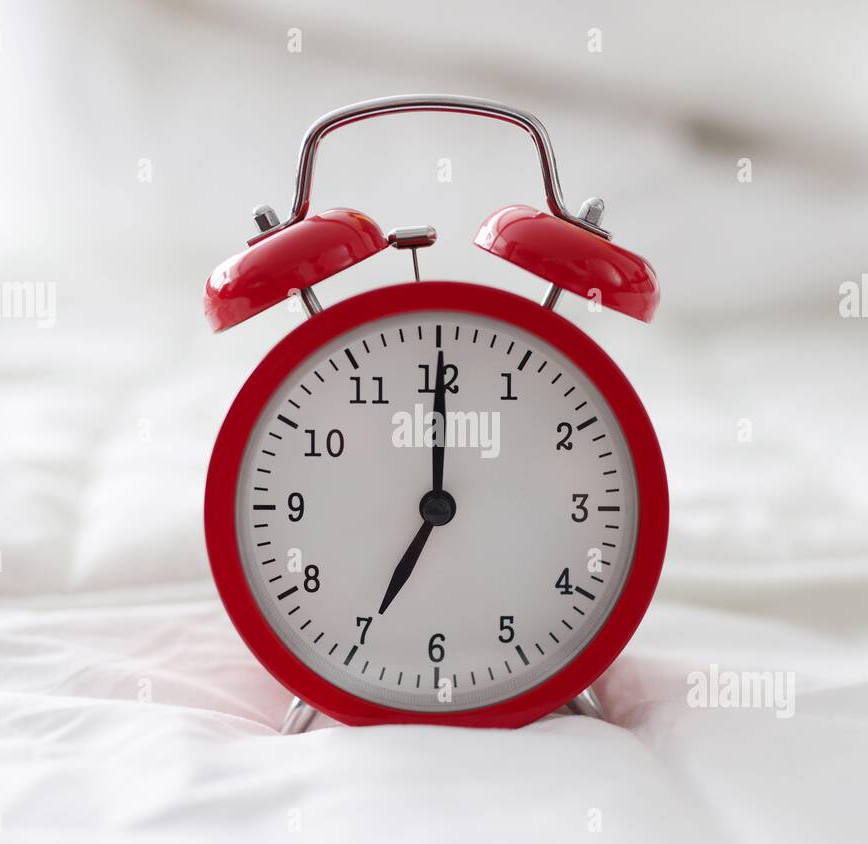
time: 7:00
